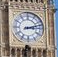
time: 3:12
